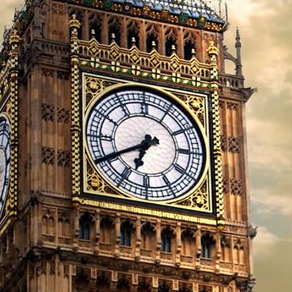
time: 6:40
